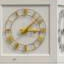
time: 3:08
